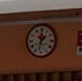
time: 1:32
